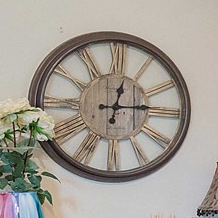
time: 12:14
